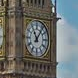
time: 11:06
